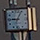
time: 9:04
